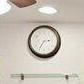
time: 2:35
